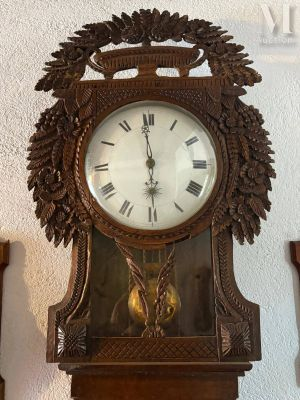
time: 5:58
